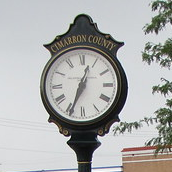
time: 12:33
